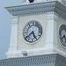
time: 7:25
